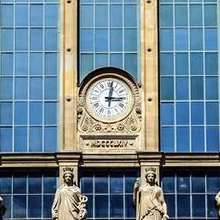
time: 3:01
